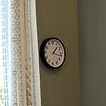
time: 1:16
